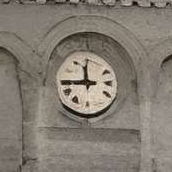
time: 11:44
